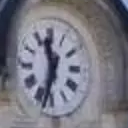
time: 11:33
